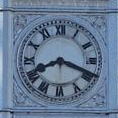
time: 8:18
